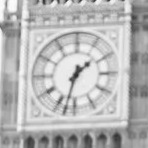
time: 1:32
